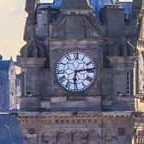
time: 6:13
